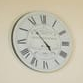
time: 4:53
